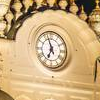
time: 6:56
